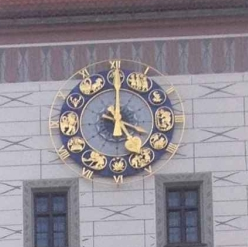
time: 4:00
